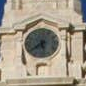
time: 5:38
